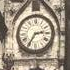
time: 2:35
